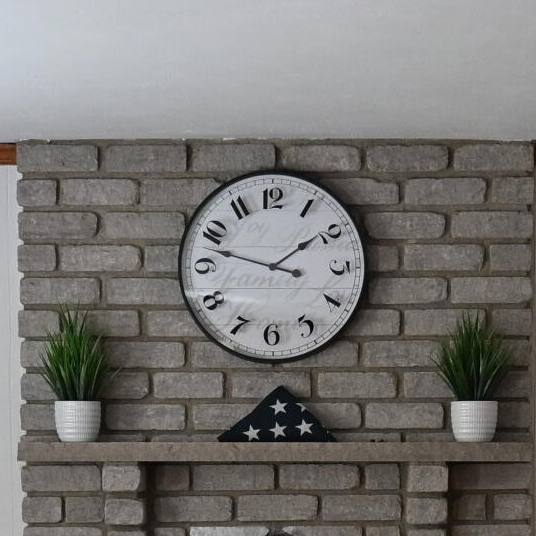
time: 1:47
